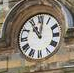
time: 11:01
